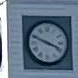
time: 3:48
